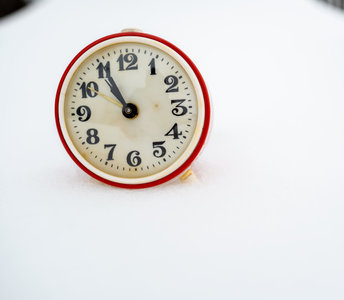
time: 10:55
